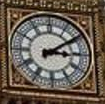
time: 3:09
